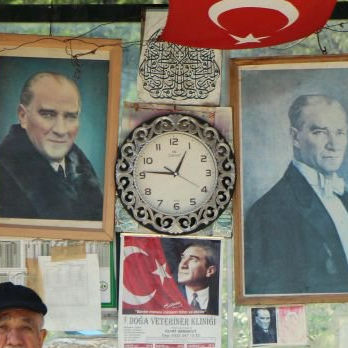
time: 12:46
